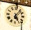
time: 5:06
